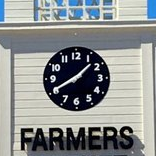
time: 8:07
